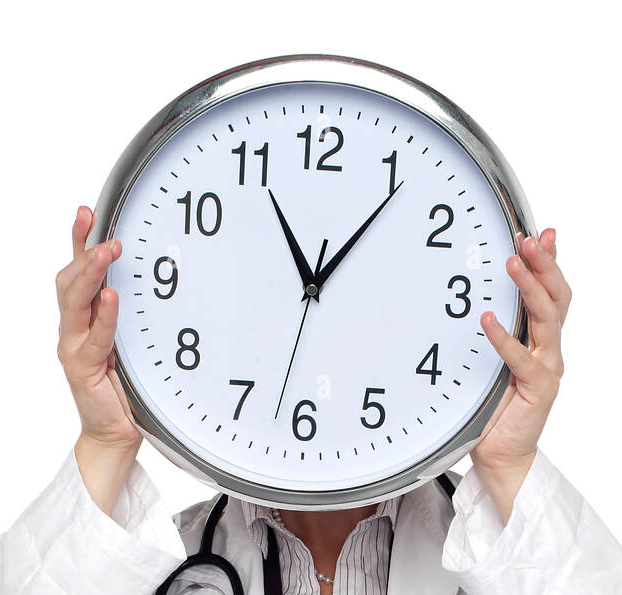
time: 11:06
